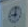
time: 8:59
